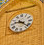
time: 9:22
